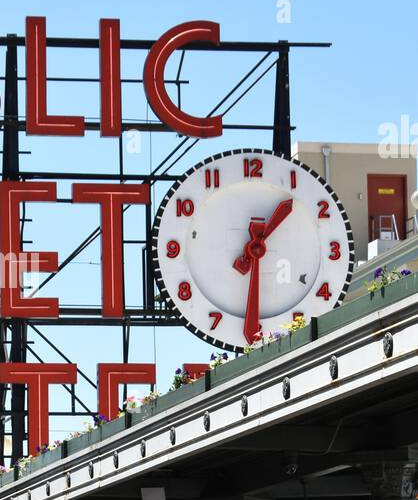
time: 1:30
